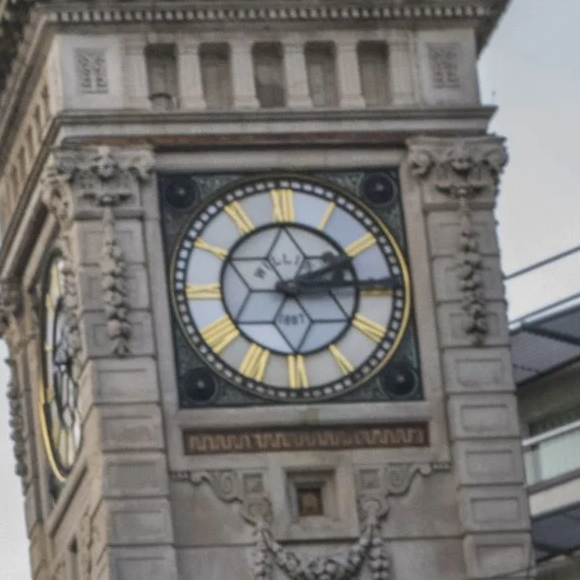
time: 2:14
